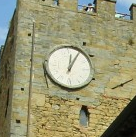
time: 12:04
